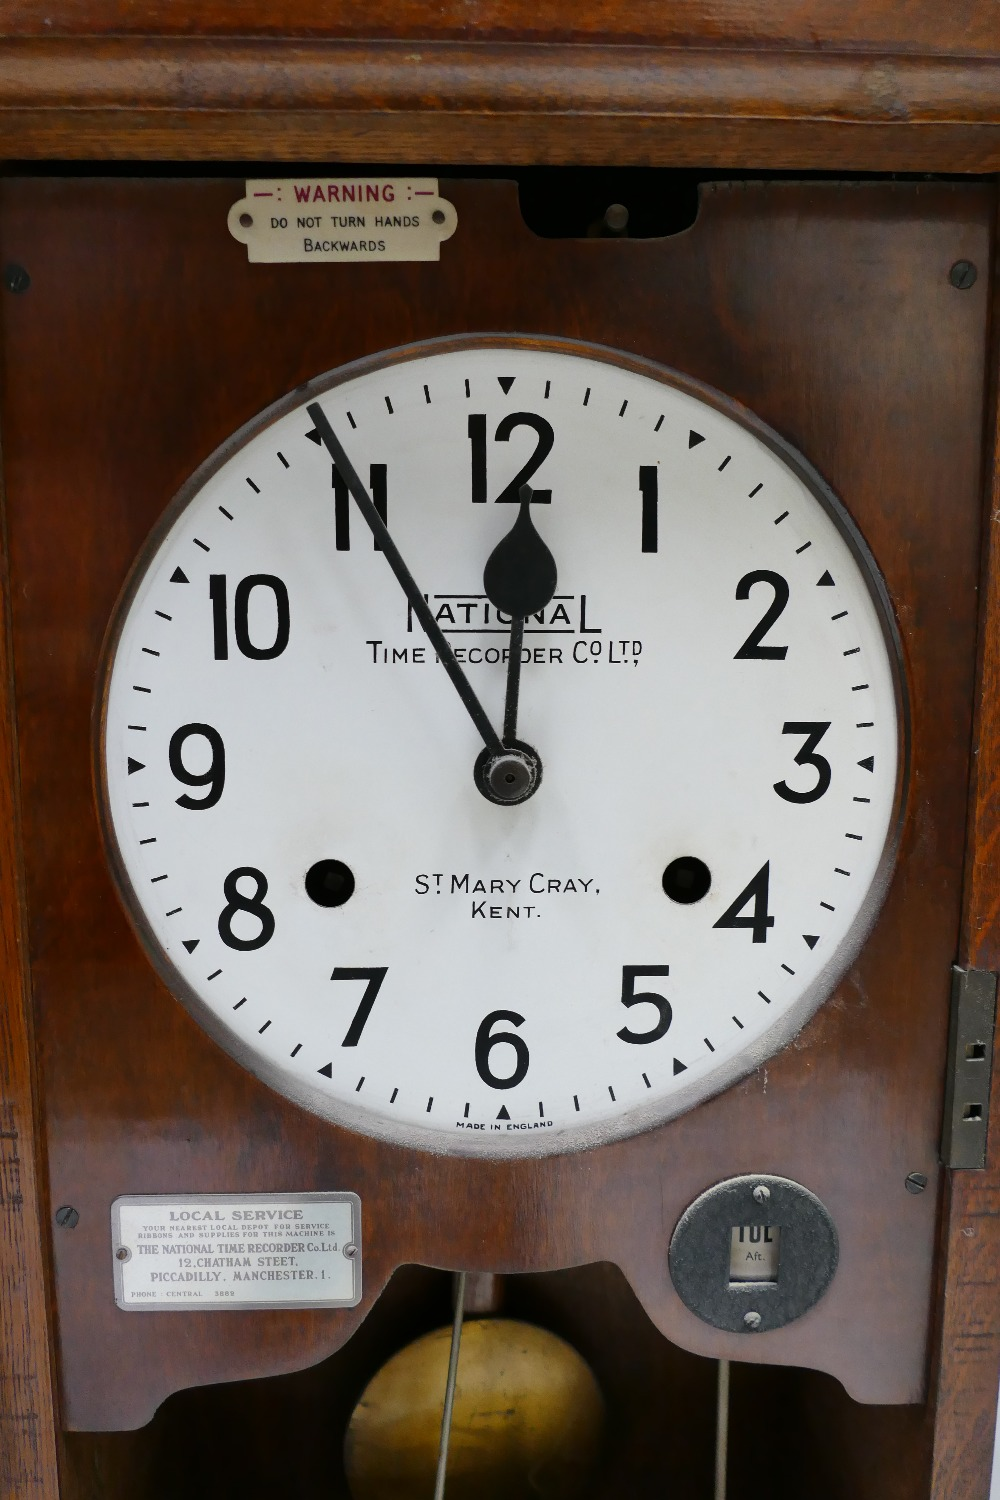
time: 11:54
